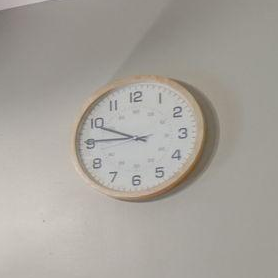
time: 9:45
